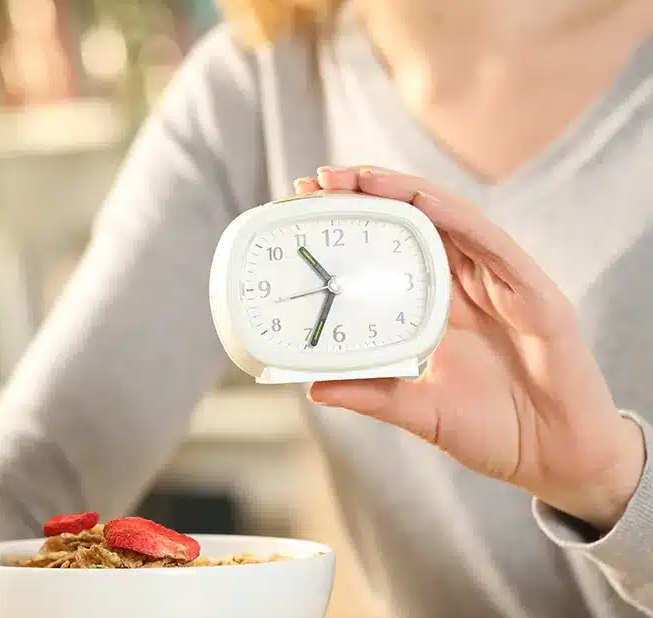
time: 10:33
